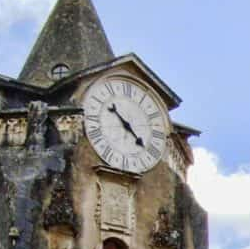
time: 10:21
